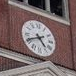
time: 4:40
